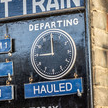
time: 8:59
